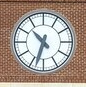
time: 10:33
